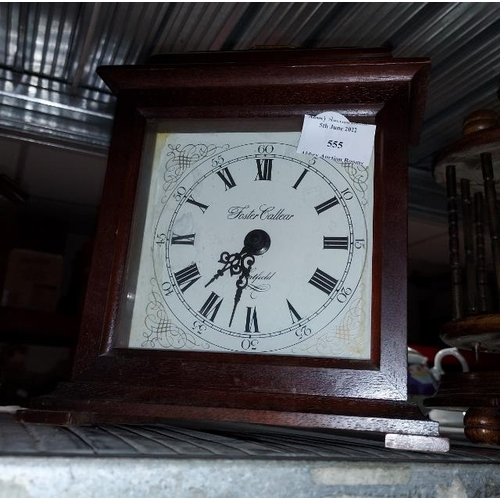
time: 7:32
